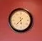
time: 5:37
